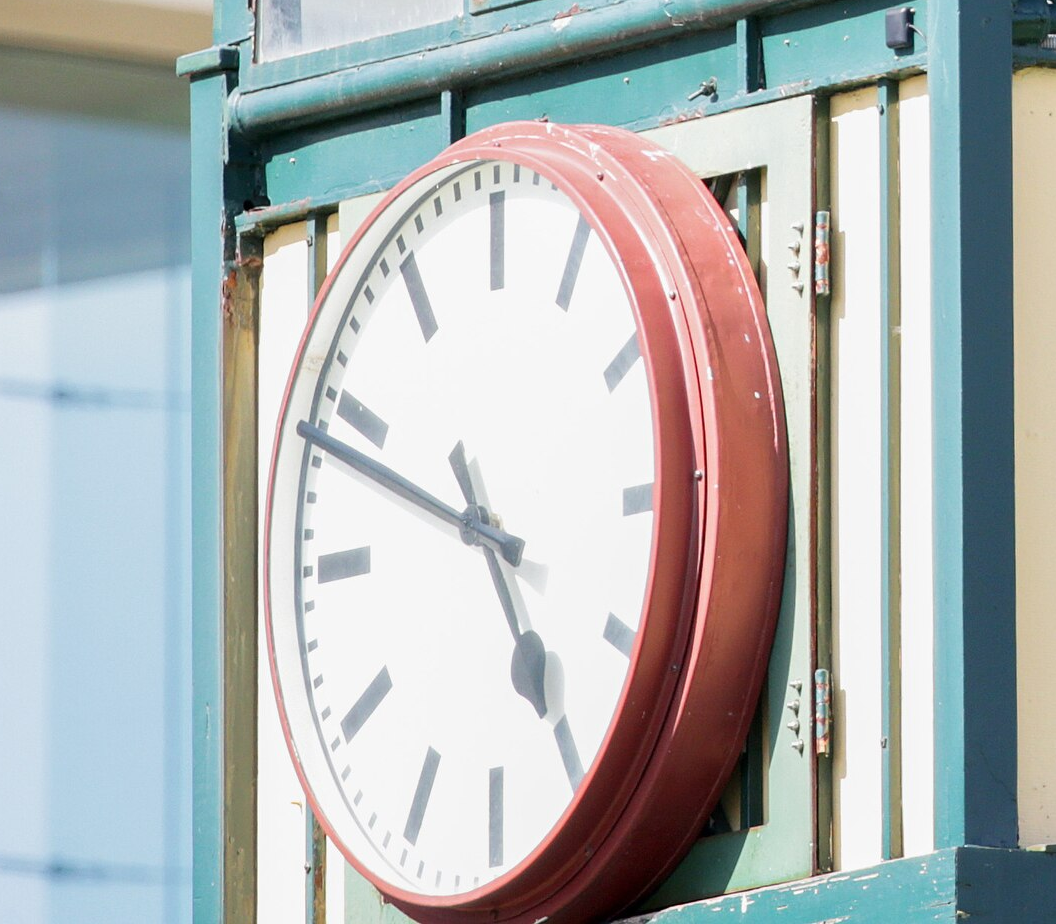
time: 4:48
